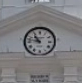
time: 10:47
